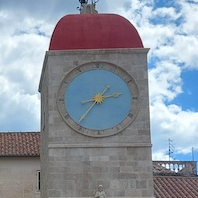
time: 2:36
